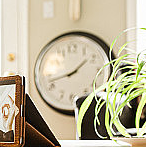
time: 1:42
